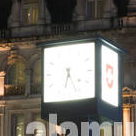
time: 6:26
